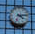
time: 4:13
